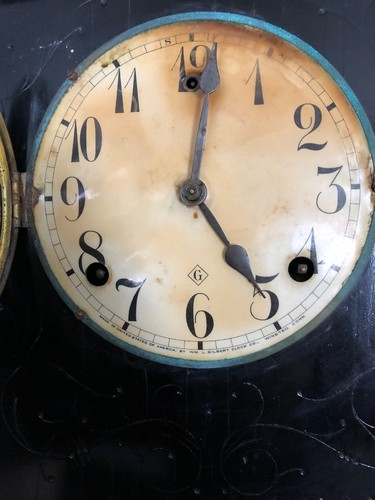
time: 5:01
